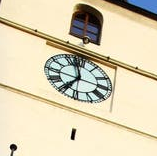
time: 6:57
